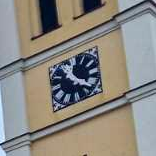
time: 11:22
